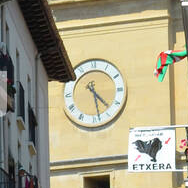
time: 4:28
